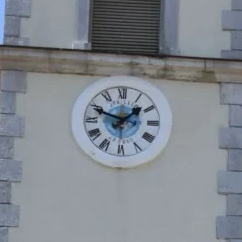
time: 1:48
